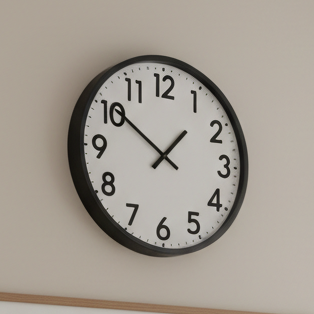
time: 1:50
